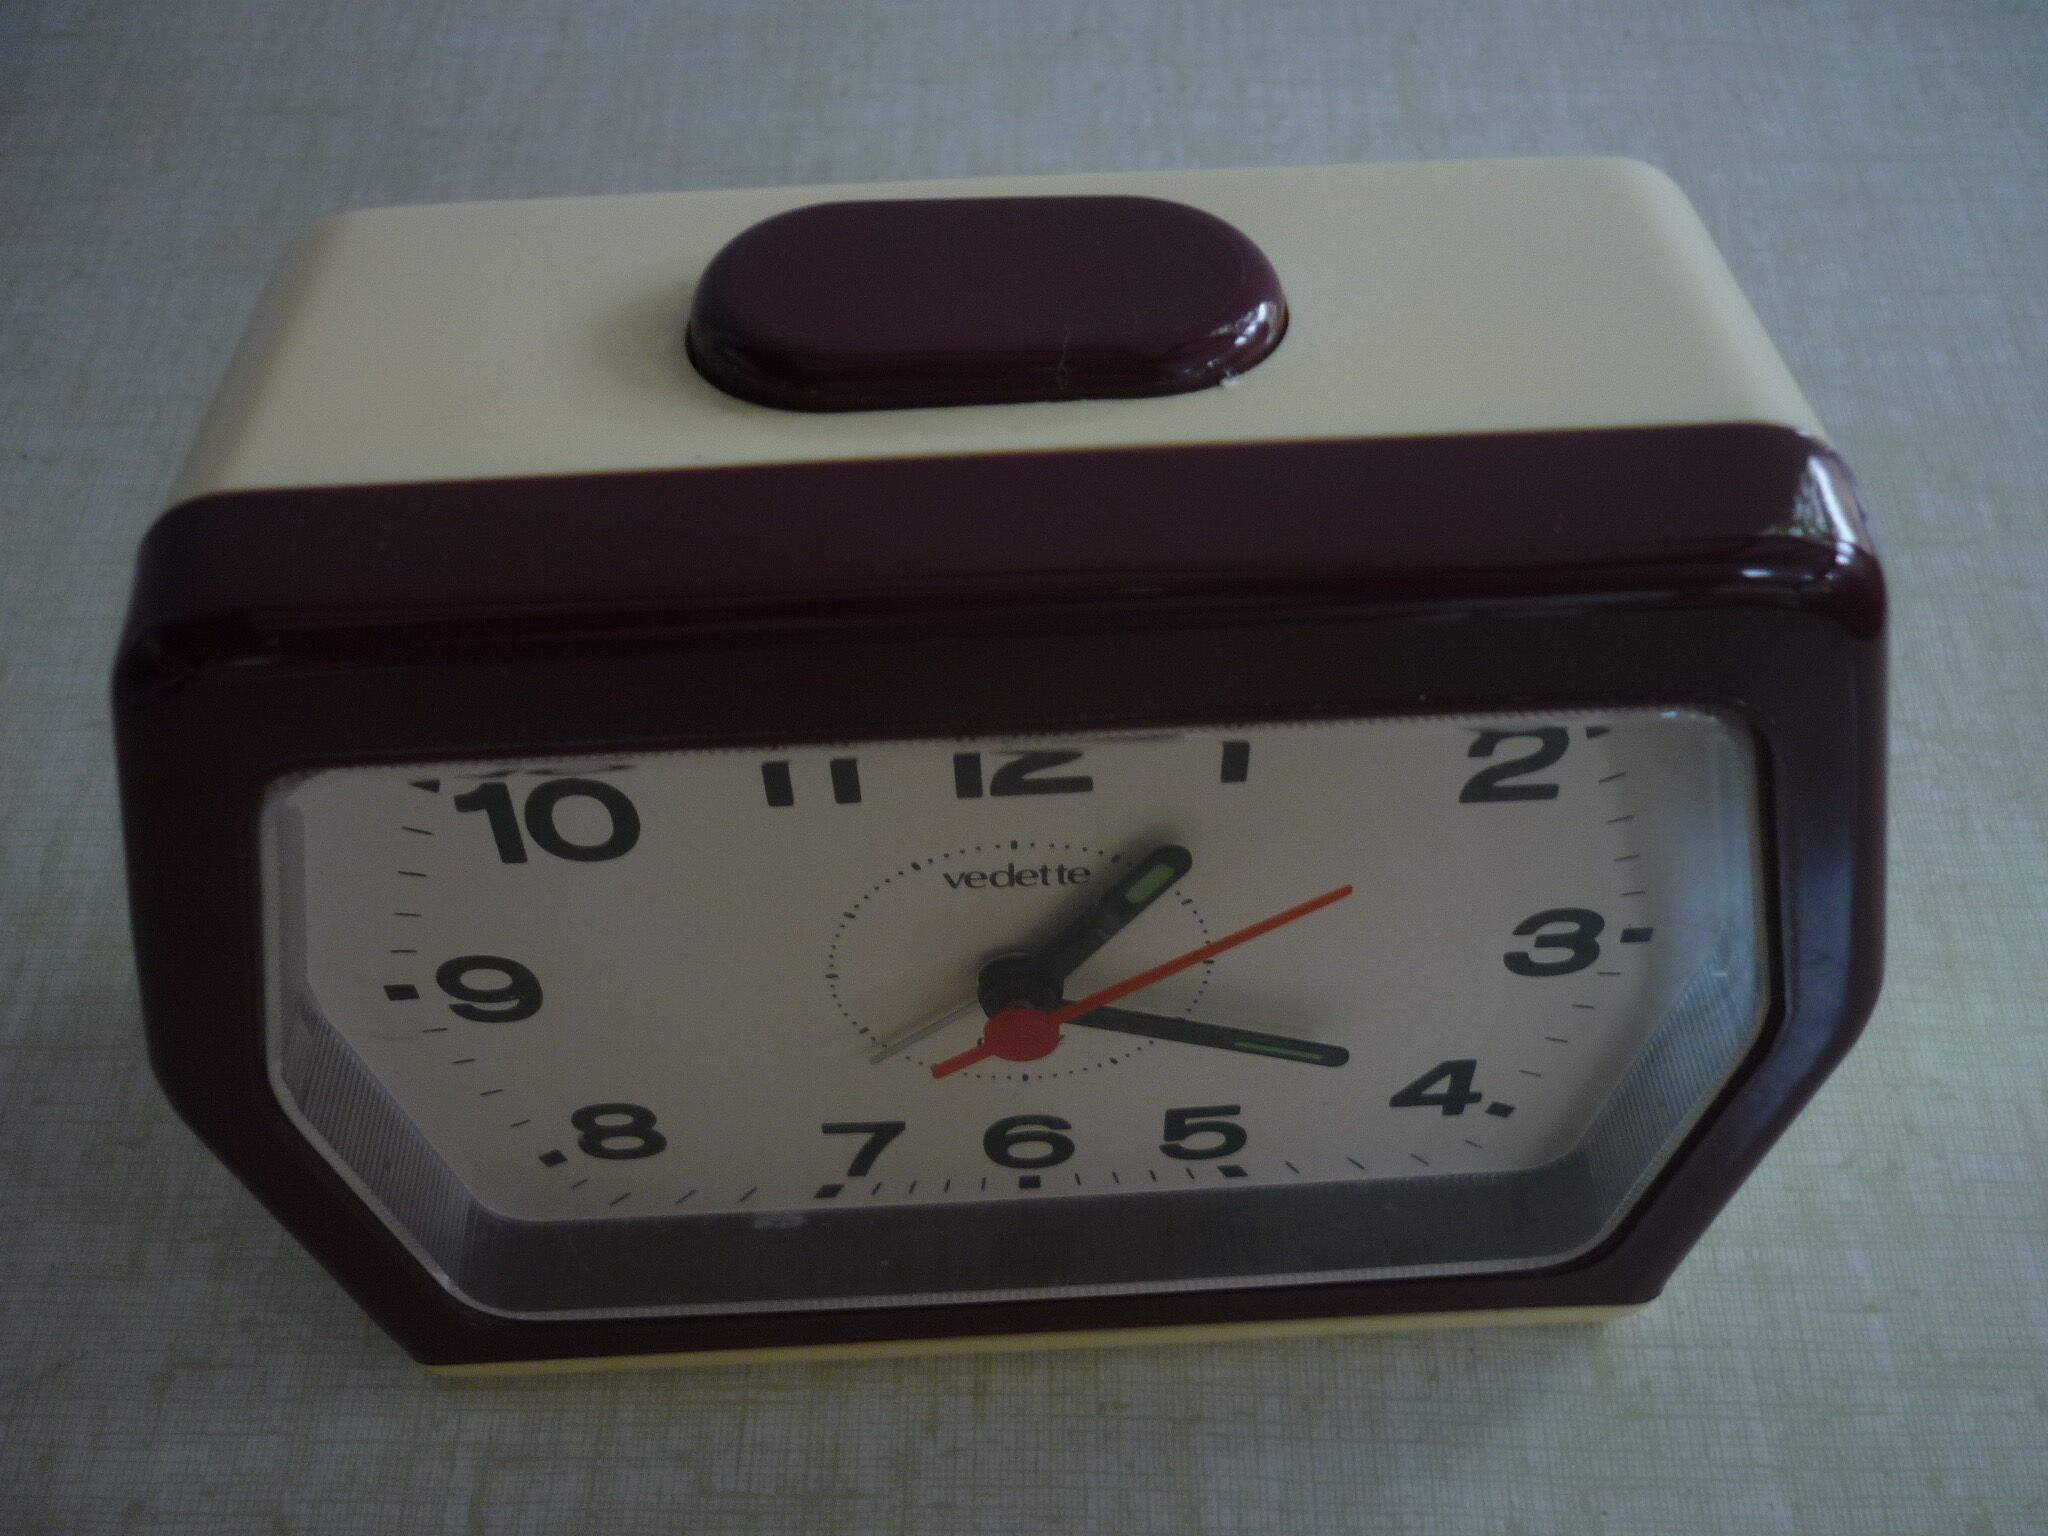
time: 1:19
